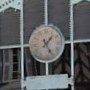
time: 1:24
